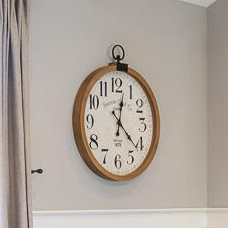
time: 12:21
